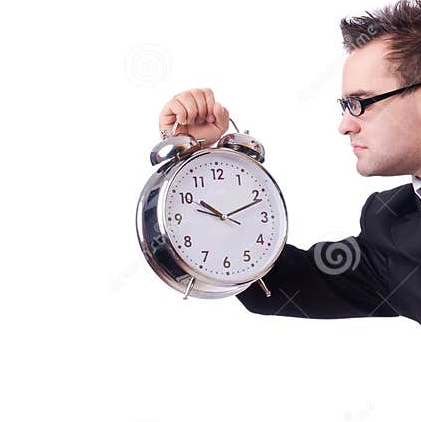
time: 10:11
